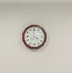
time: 3:58
